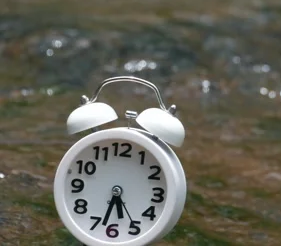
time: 5:32
